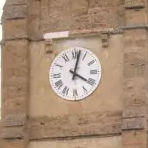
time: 4:02
